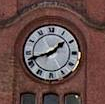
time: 1:42
